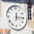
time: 12:14
